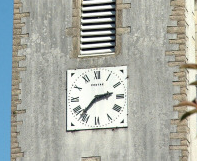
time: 2:36
